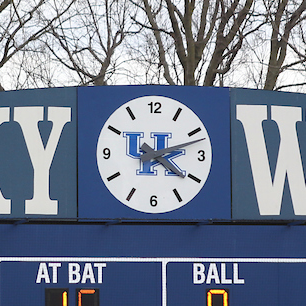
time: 4:12
